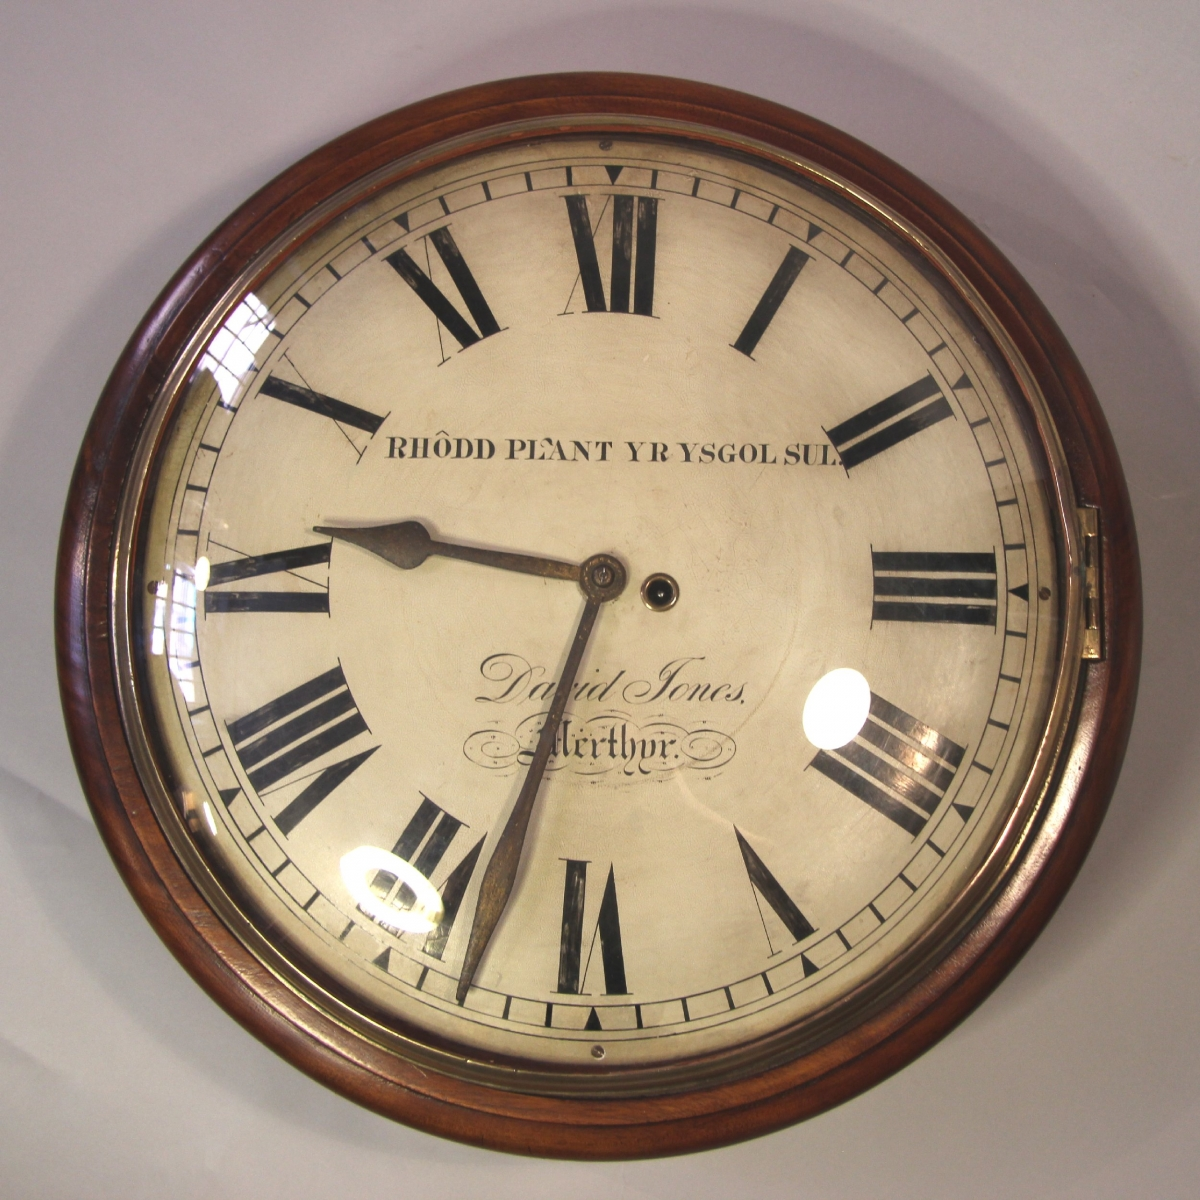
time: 9:32
